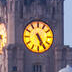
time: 5:24
